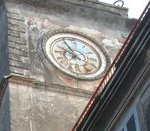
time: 9:55
